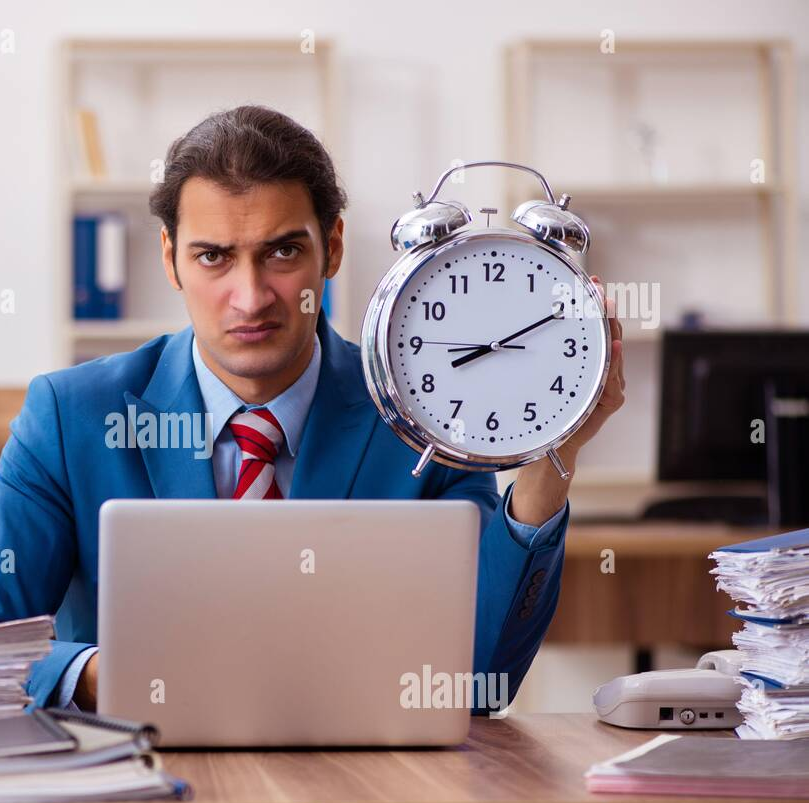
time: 8:10
